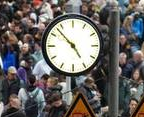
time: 4:52
